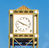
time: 3:50
